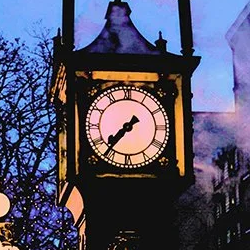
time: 7:36
